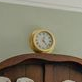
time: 12:23
